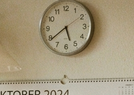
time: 5:39
